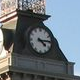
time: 4:14
